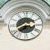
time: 3:39
